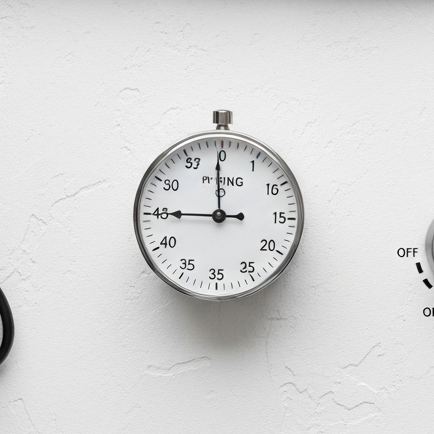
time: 8:59
